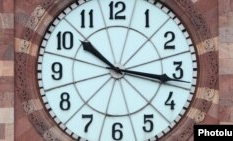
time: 10:16
